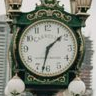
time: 1:32
